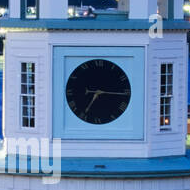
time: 7:15
